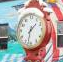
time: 1:32
